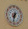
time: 7:32
